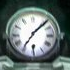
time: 7:07
